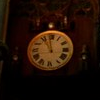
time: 10:58
